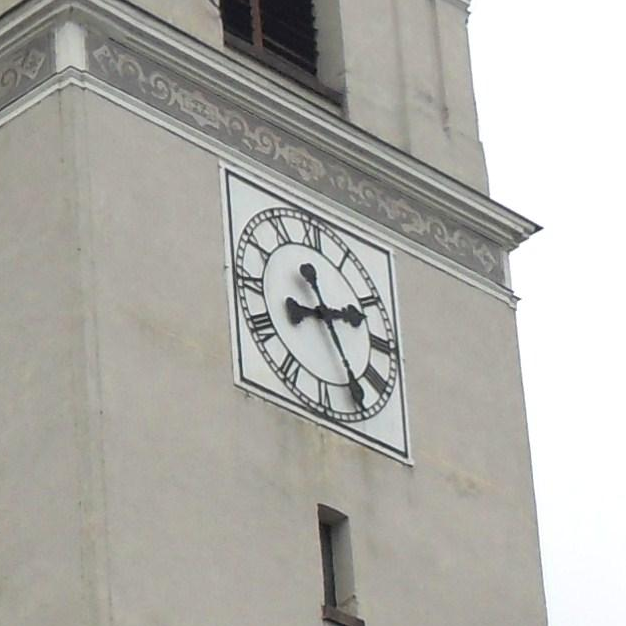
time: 2:24
